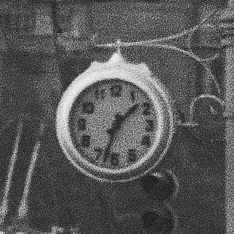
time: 1:32
